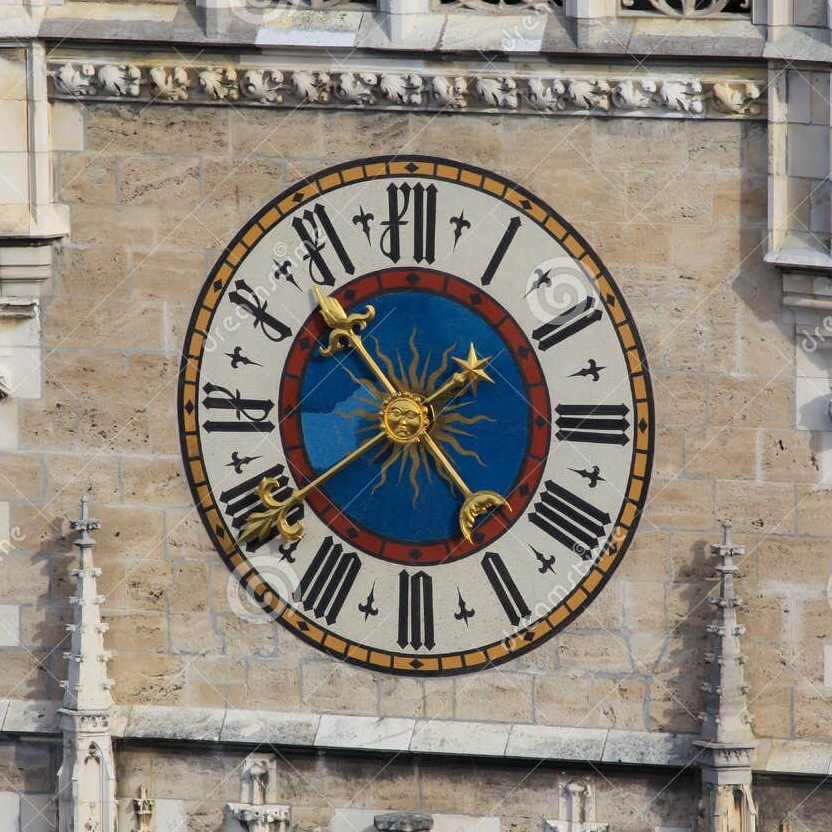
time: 1:53
